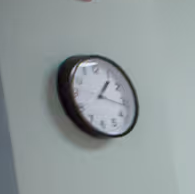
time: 1:16
